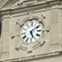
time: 5:08
